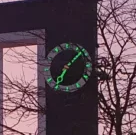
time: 7:08
